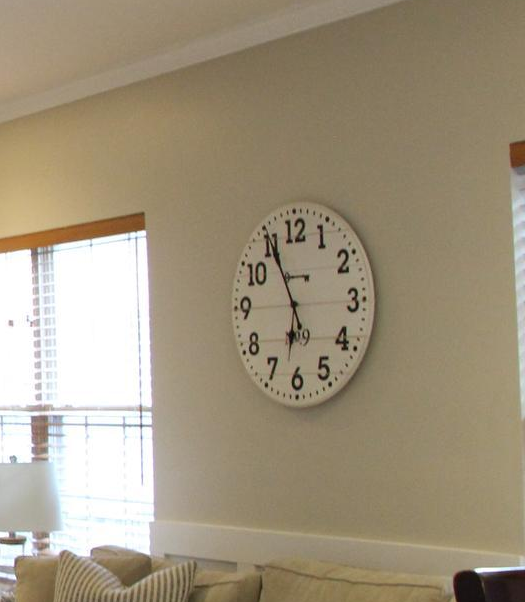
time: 5:55
